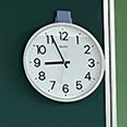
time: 8:56
